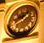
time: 1:41
